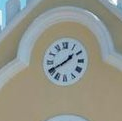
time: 1:40
